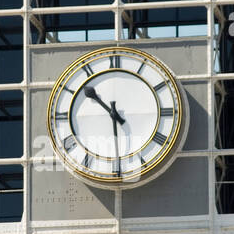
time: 10:29
